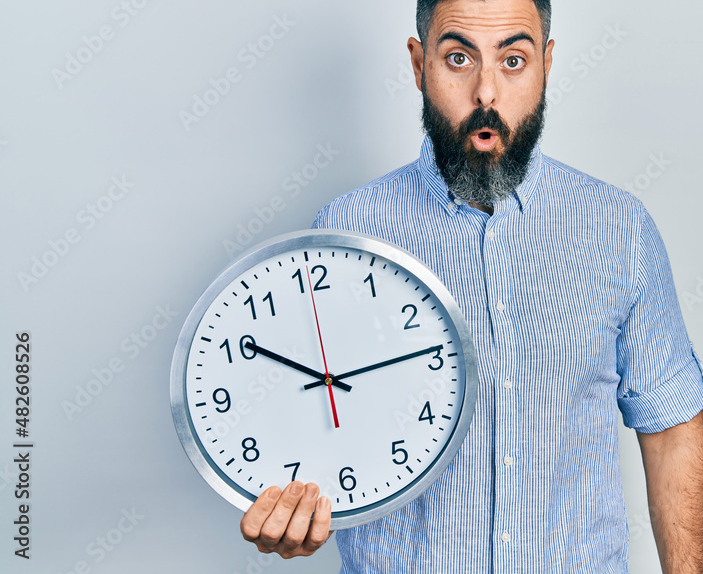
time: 10:14
